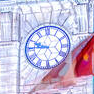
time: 9:45
